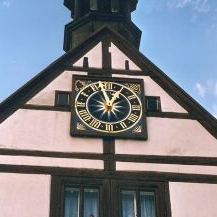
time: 12:57
